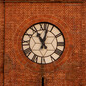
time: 11:02
